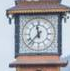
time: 11:37
